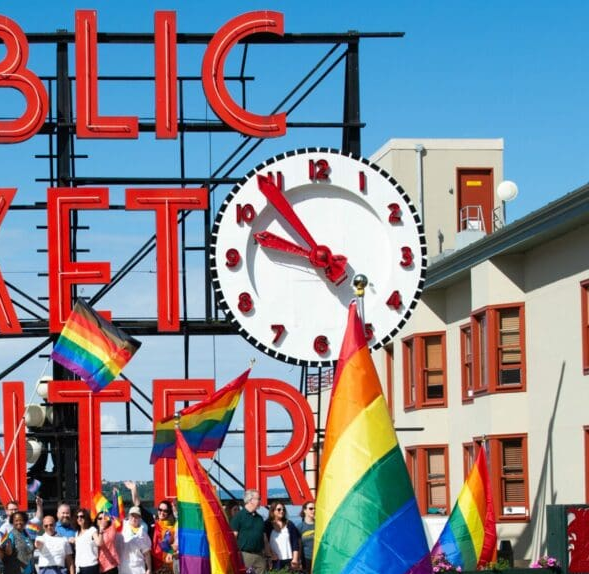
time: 9:53
